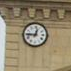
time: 12:45
